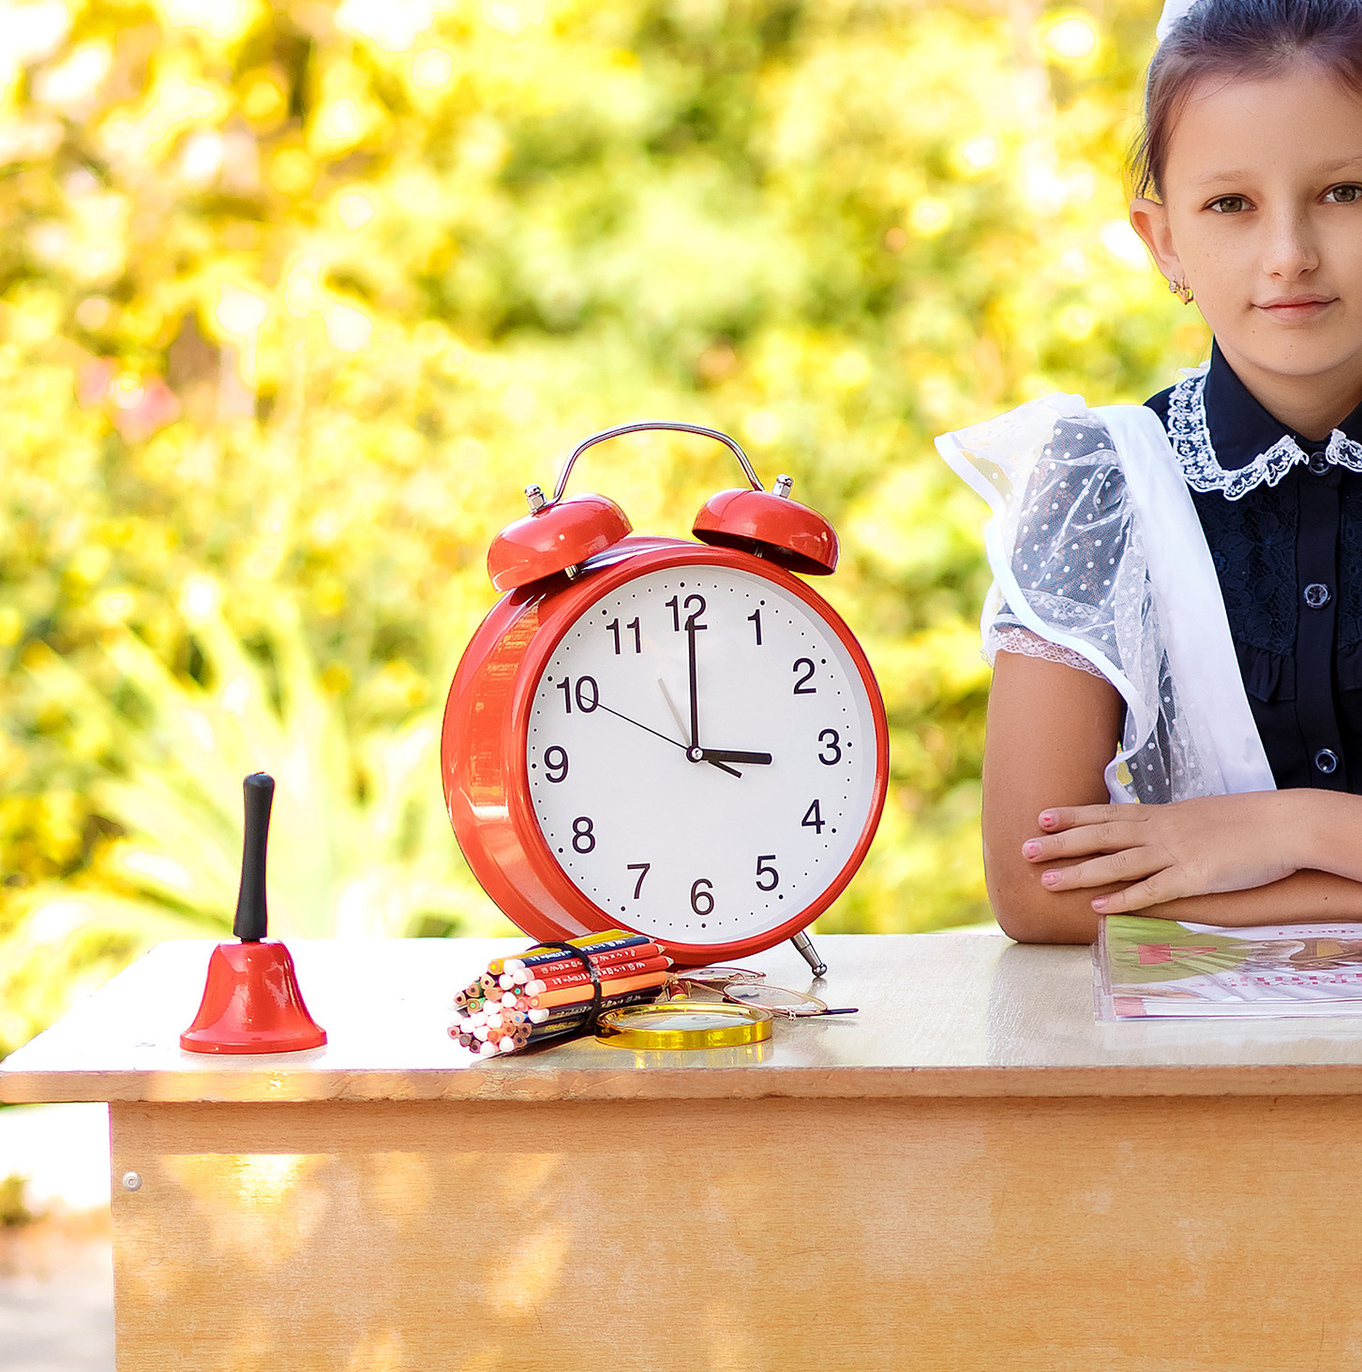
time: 3:00
